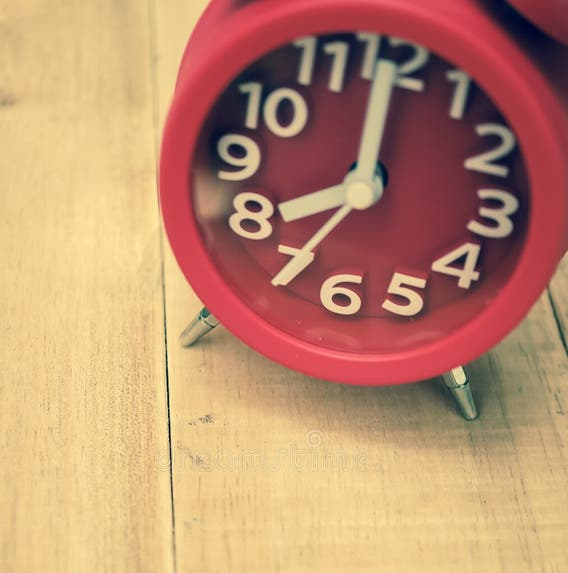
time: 8:00
